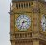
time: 2:33
